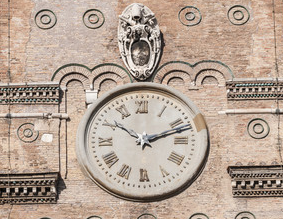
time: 10:12
